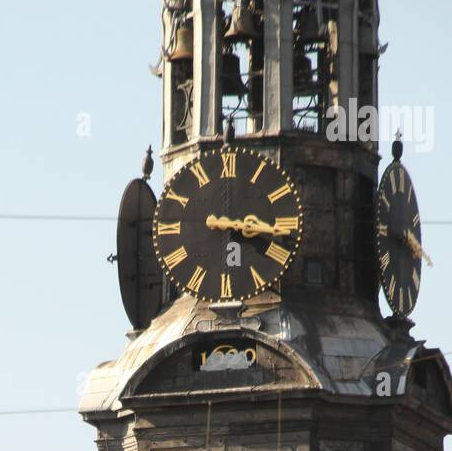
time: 3:16
